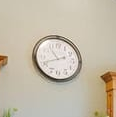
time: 10:41
